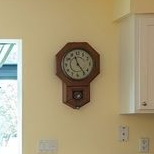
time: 11:23
